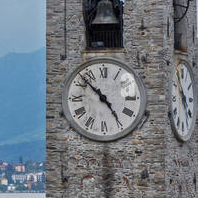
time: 4:52
